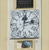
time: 12:13
